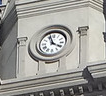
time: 3:56
